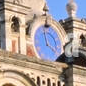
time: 3:58
